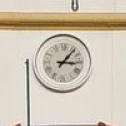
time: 3:06
